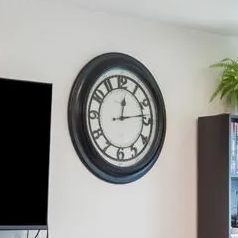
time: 12:13
